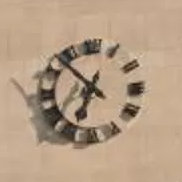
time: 6:52
